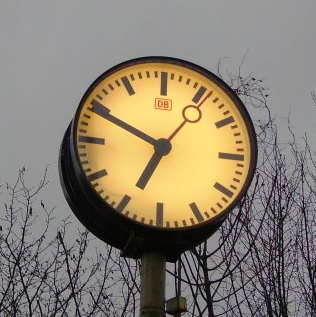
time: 6:49
